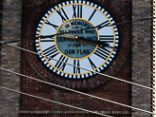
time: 9:16
